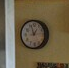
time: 12:57
